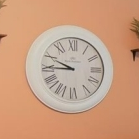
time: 9:44
